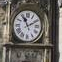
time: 11:10
